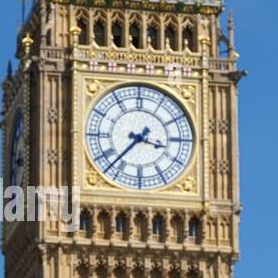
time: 3:37
